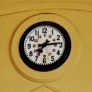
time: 7:13
